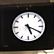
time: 5:19
